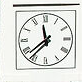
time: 11:37
